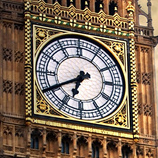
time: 6:40
